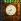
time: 8:36
